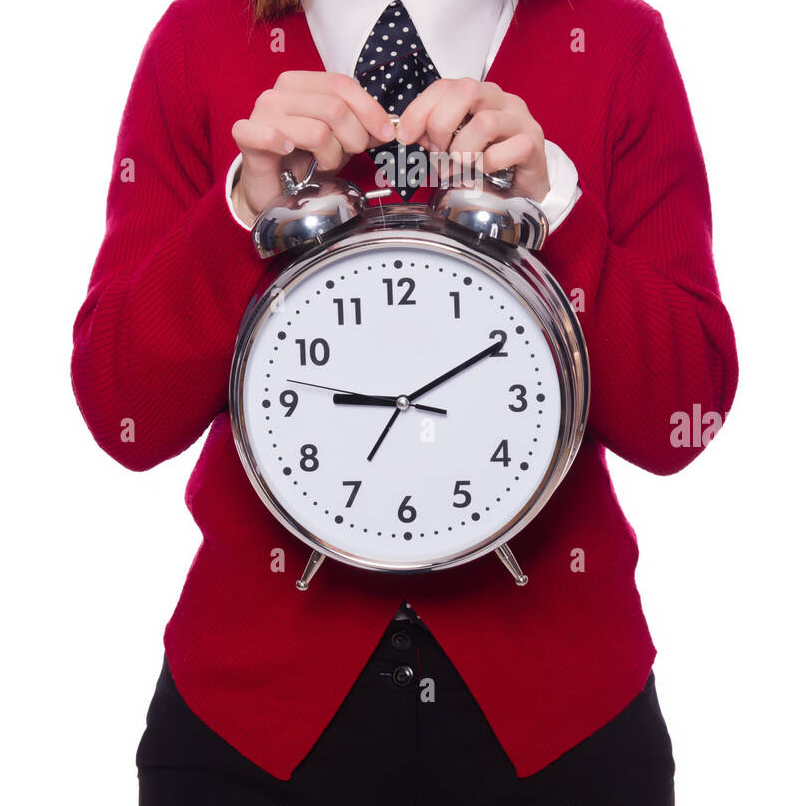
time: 9:10
